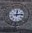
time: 12:13
